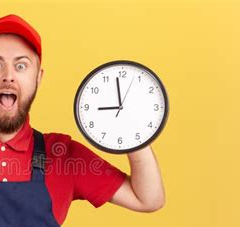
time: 8:58
